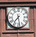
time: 7:28
